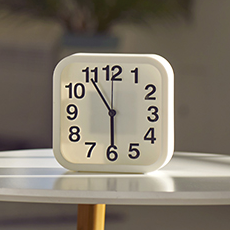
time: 5:54
